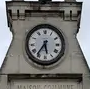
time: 5:36
